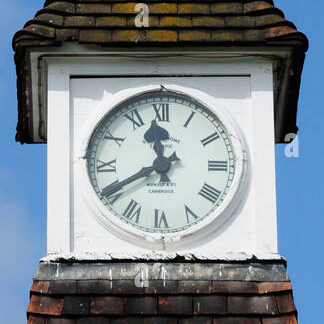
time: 11:40
